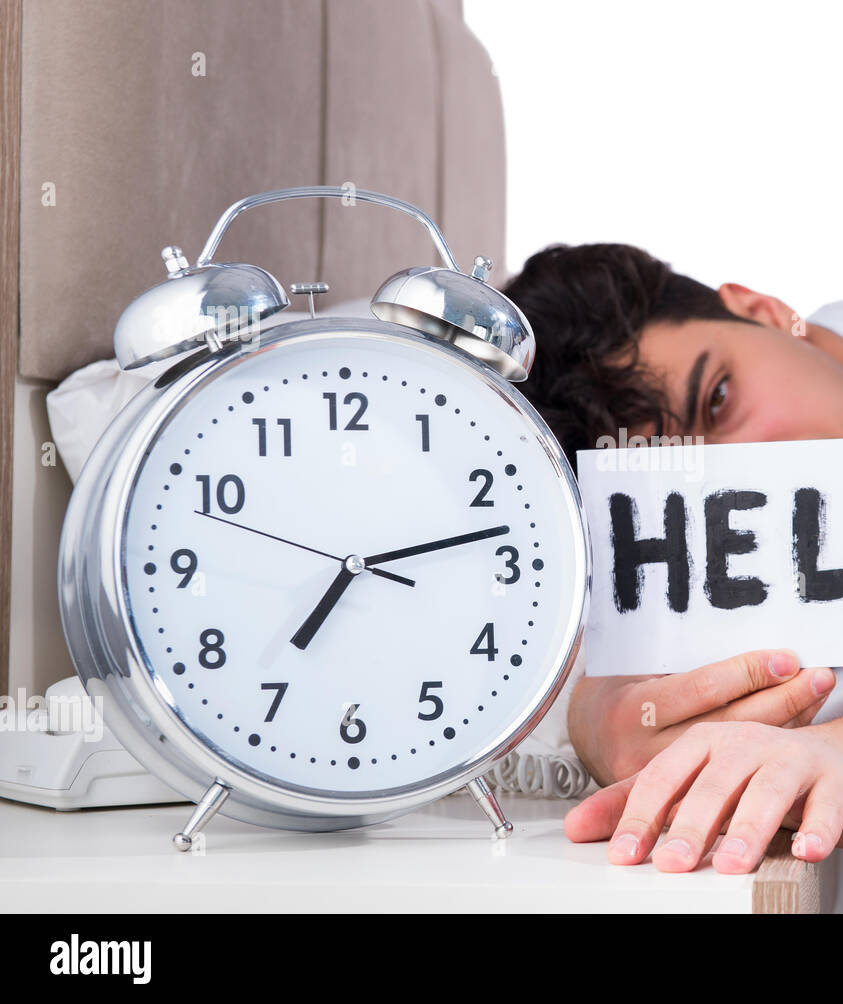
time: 7:13
